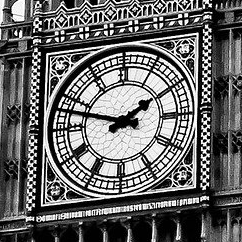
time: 1:47
